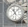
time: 11:07
